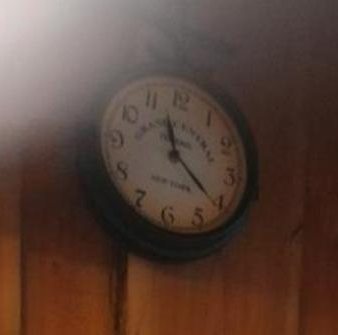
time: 11:21
